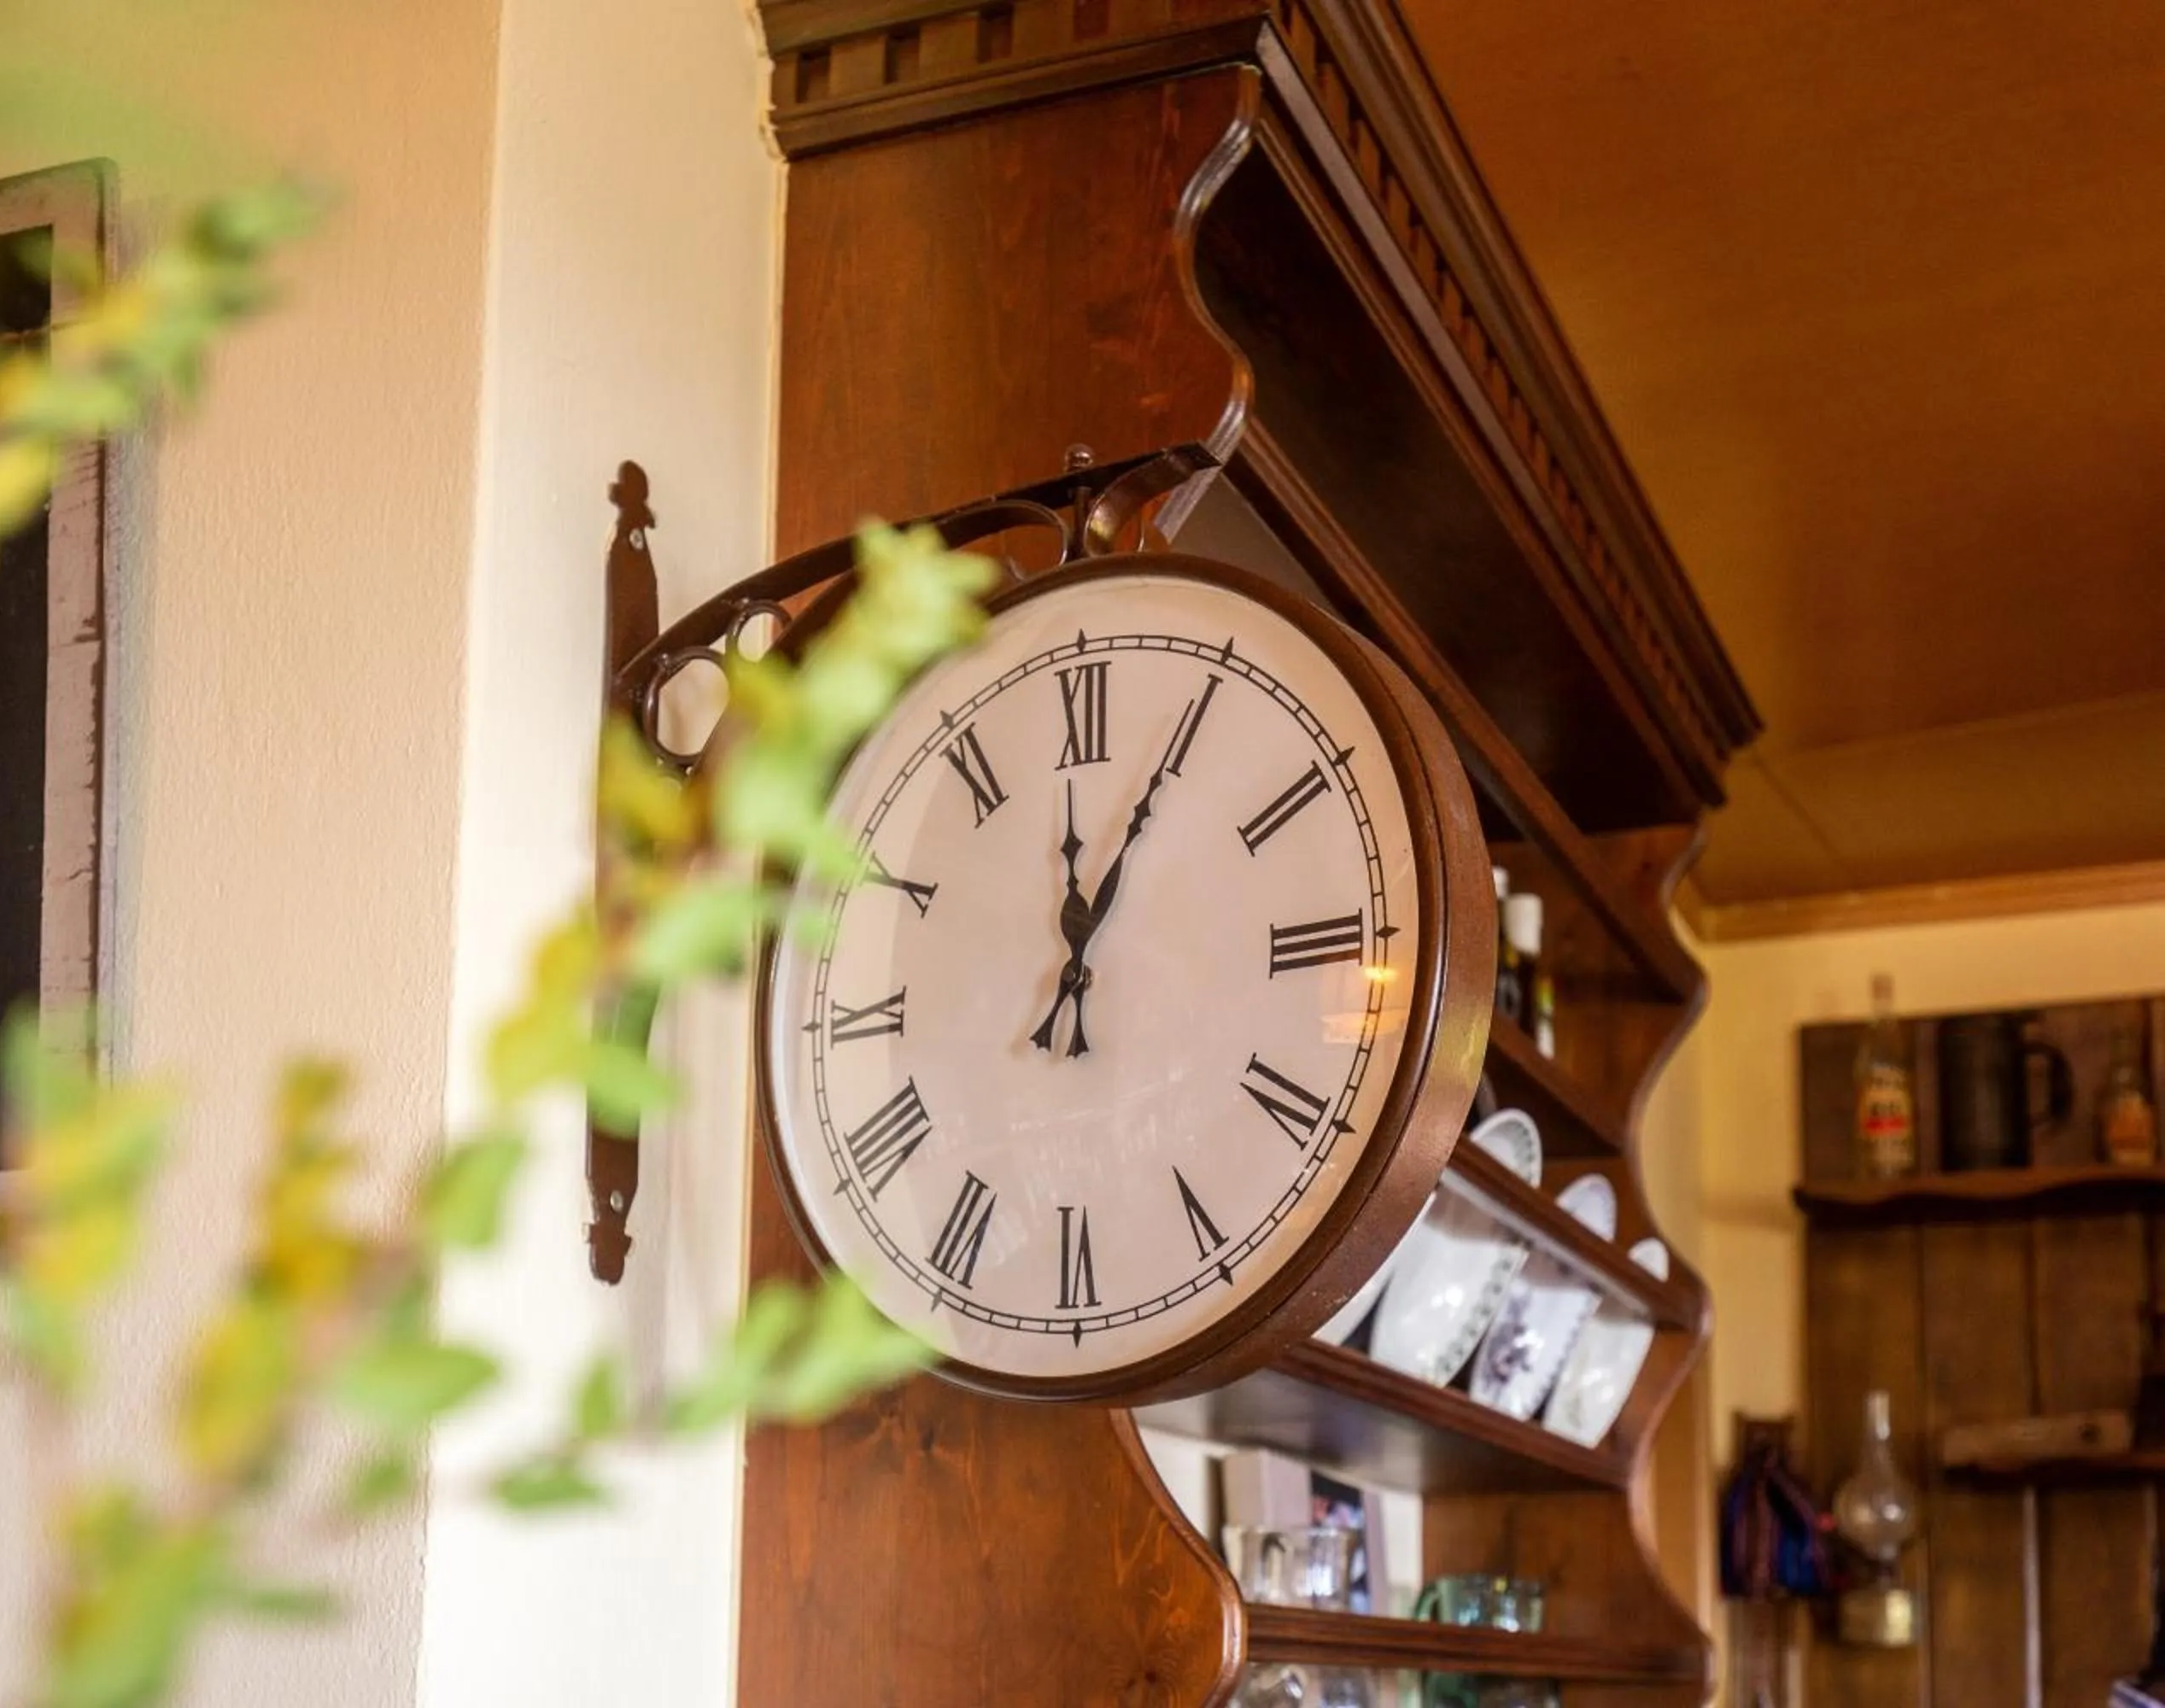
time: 12:04
